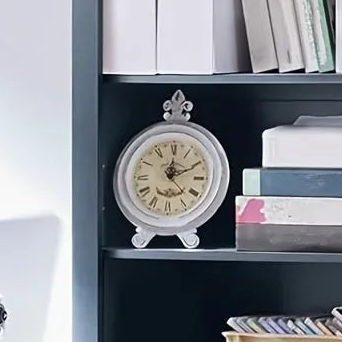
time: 12:10
